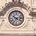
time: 10:13
